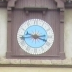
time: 3:43
